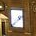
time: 1:38
